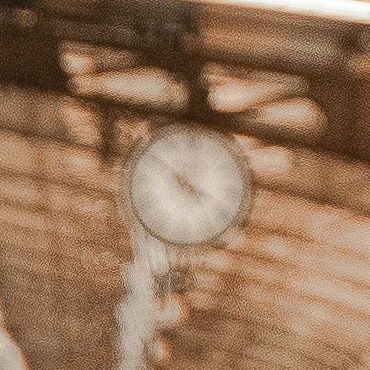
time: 3:52
